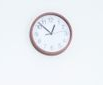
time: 12:52
